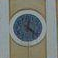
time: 12:22
